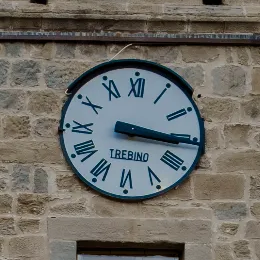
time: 3:15
